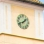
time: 1:41
